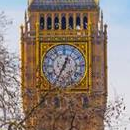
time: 12:34
